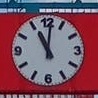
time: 11:01
